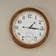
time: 1:16
